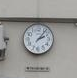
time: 2:06
